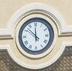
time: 11:52
